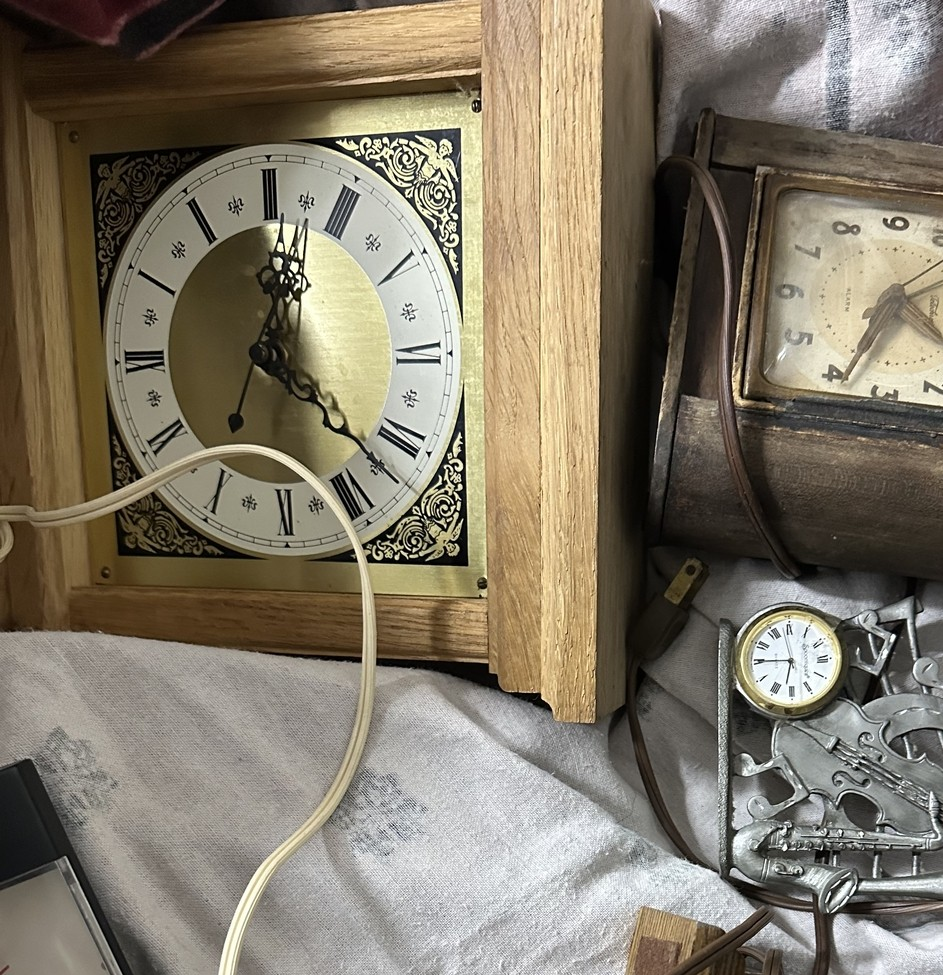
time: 12:21
